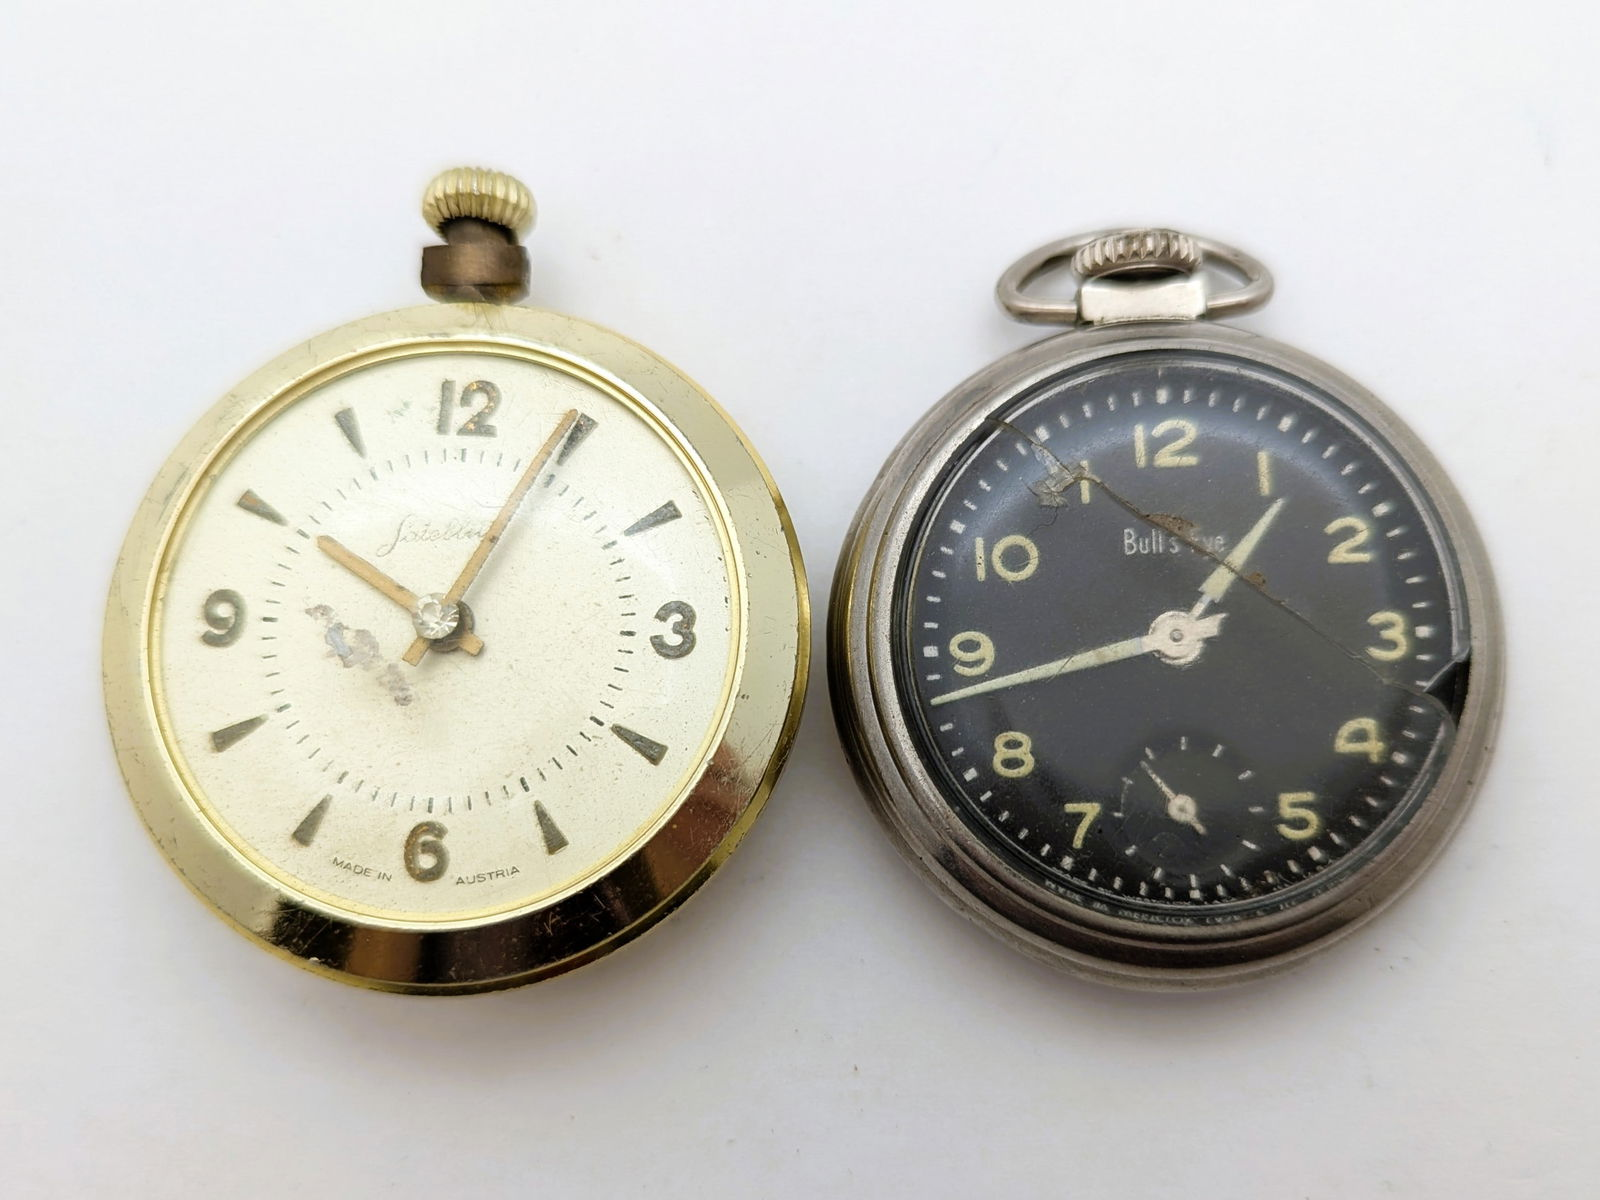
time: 10:04
